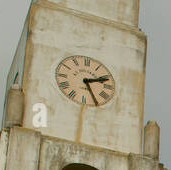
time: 2:25
